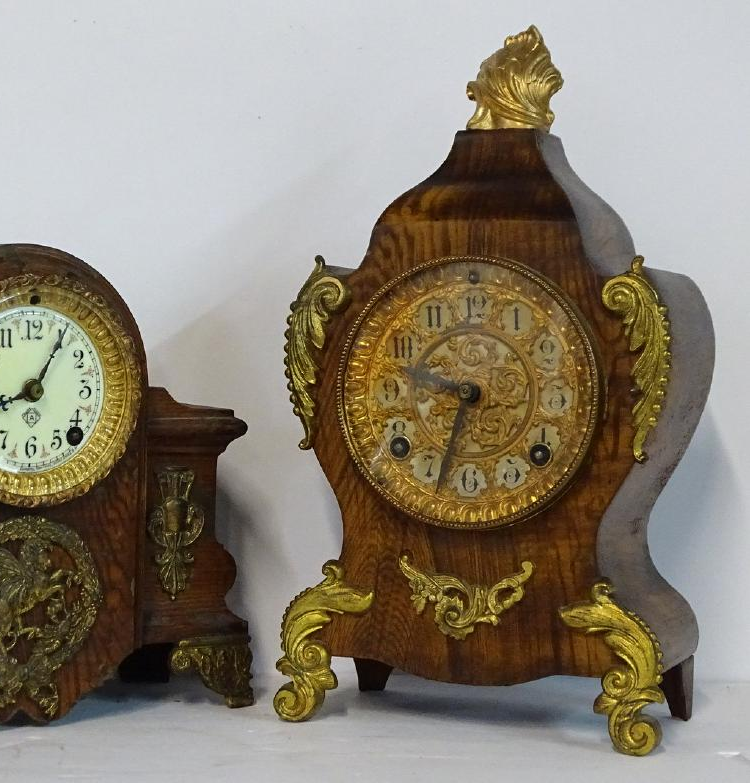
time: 9:34
